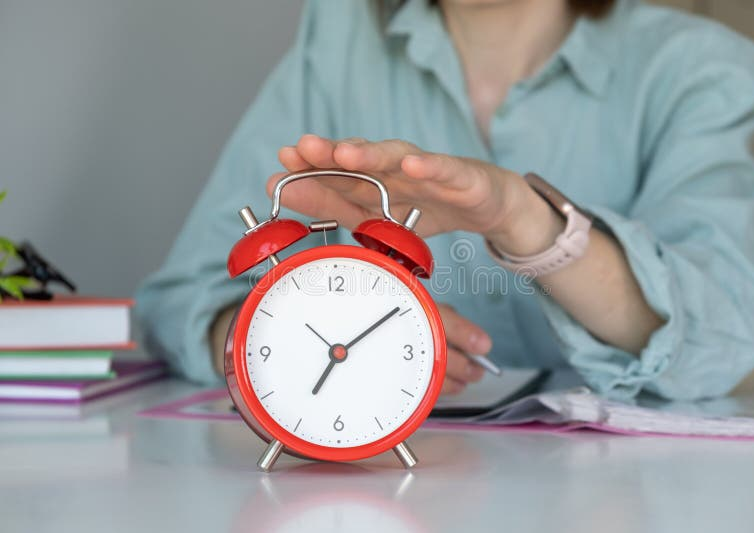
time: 7:09
